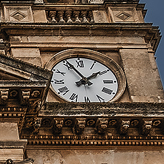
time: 1:55
